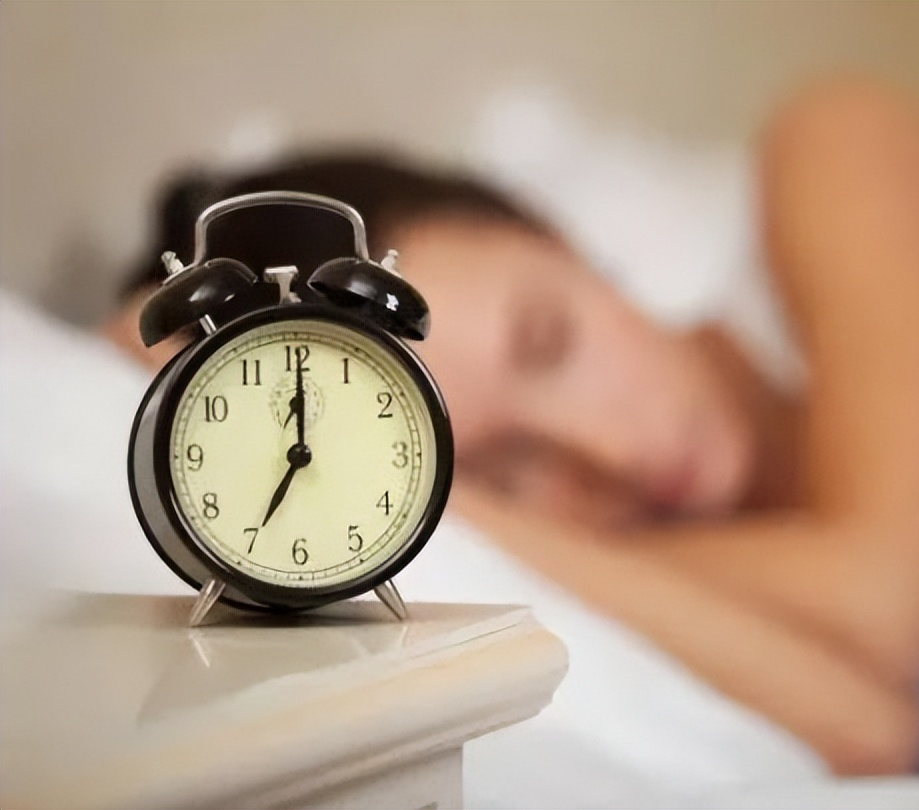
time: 7:00
